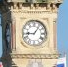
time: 9:06
